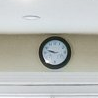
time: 9:47
